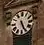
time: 5:26
